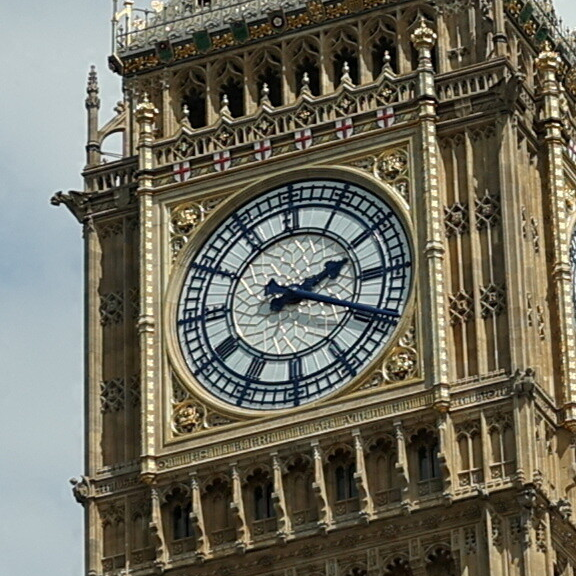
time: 2:18
